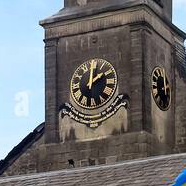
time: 2:00
